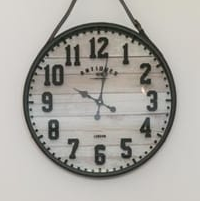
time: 10:01
